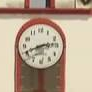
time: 2:41
